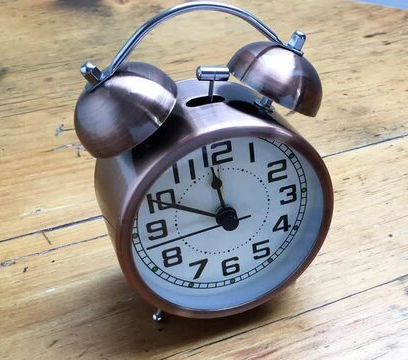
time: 11:49
